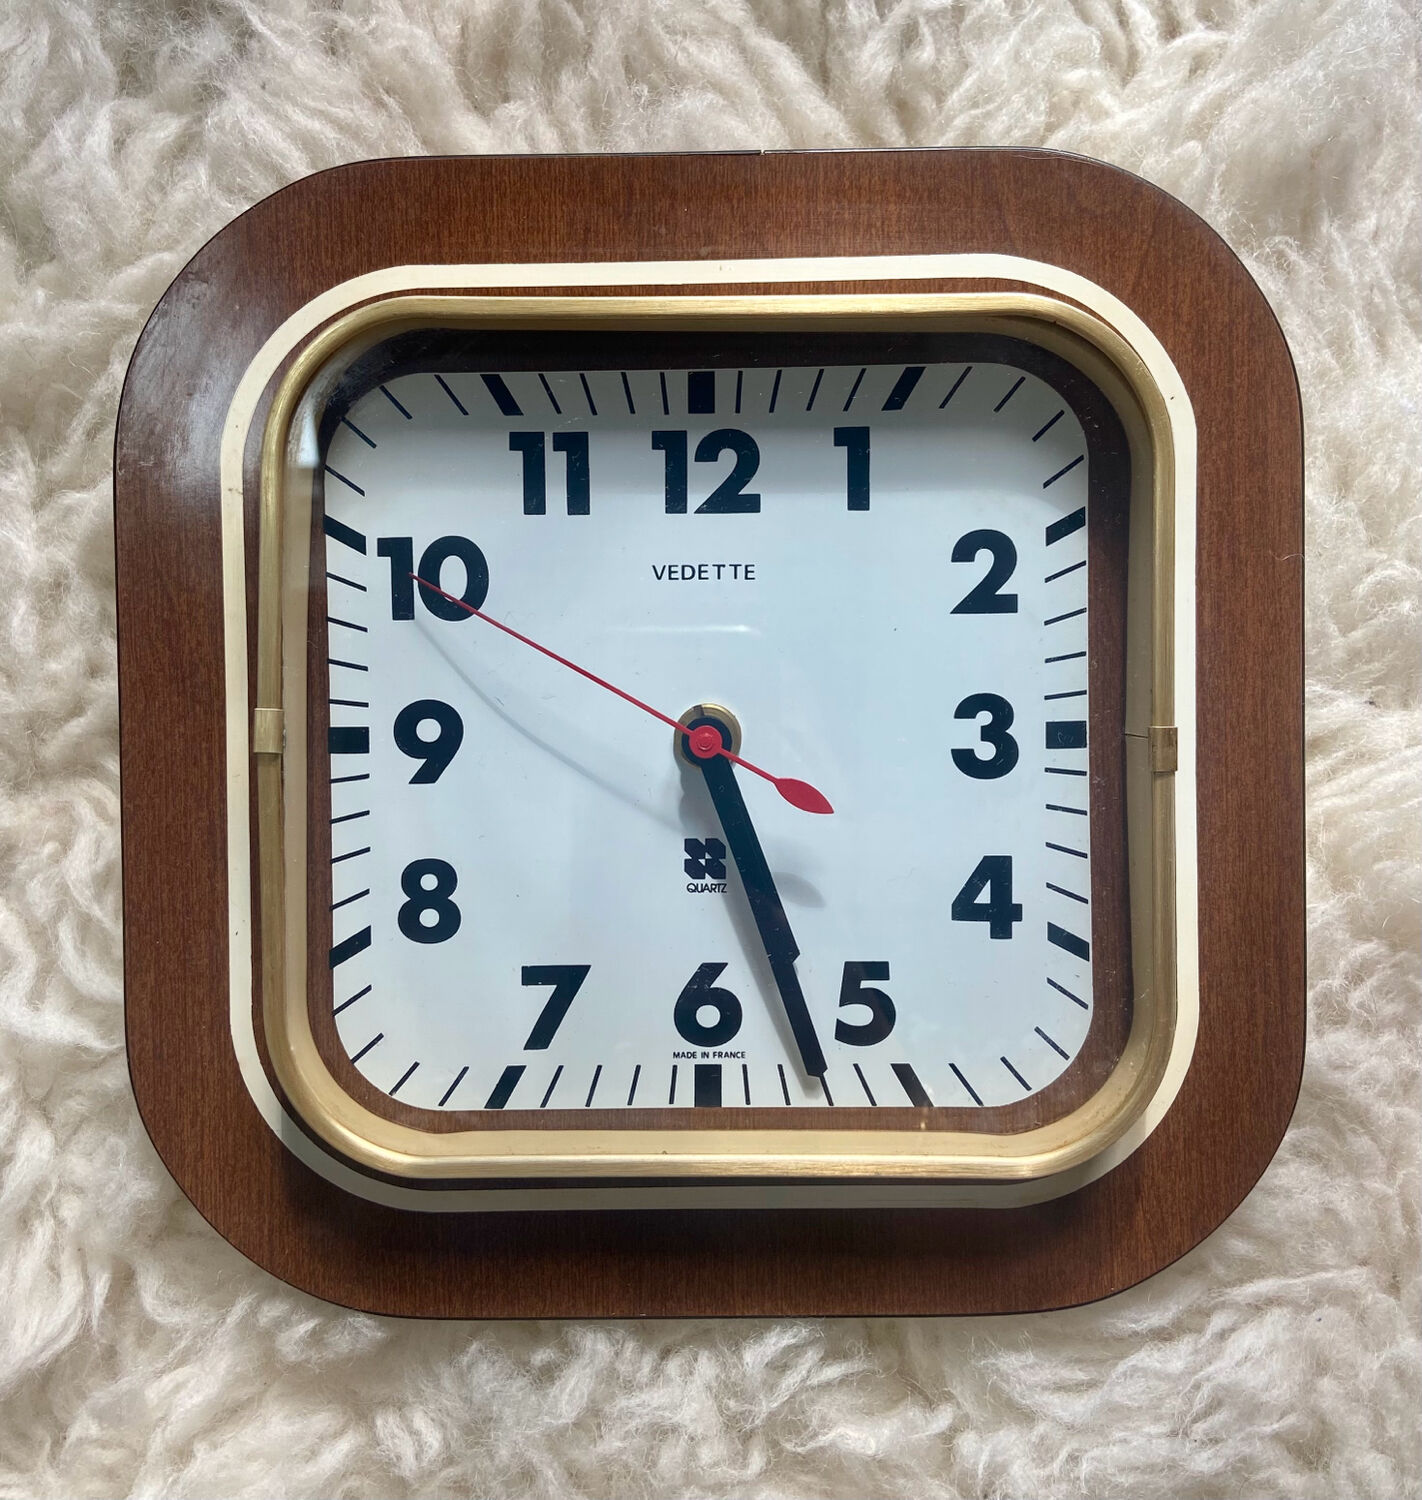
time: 5:26
